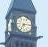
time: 7:13
